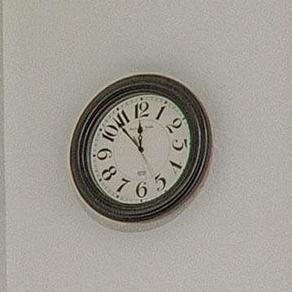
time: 11:52
